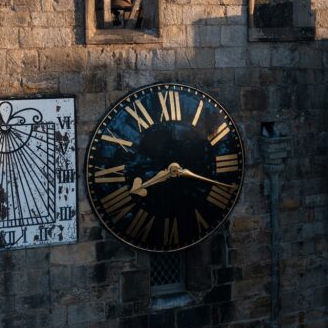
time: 8:18
